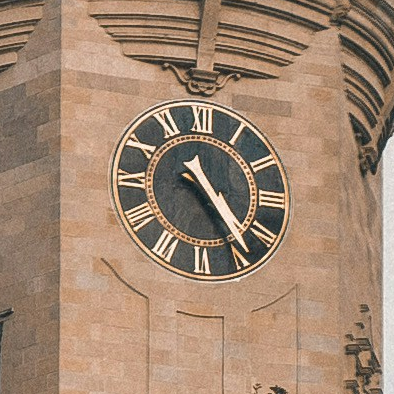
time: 4:23
